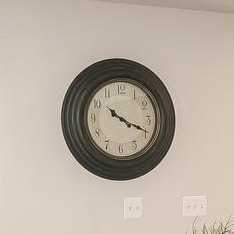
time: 10:18
